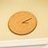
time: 3:09
